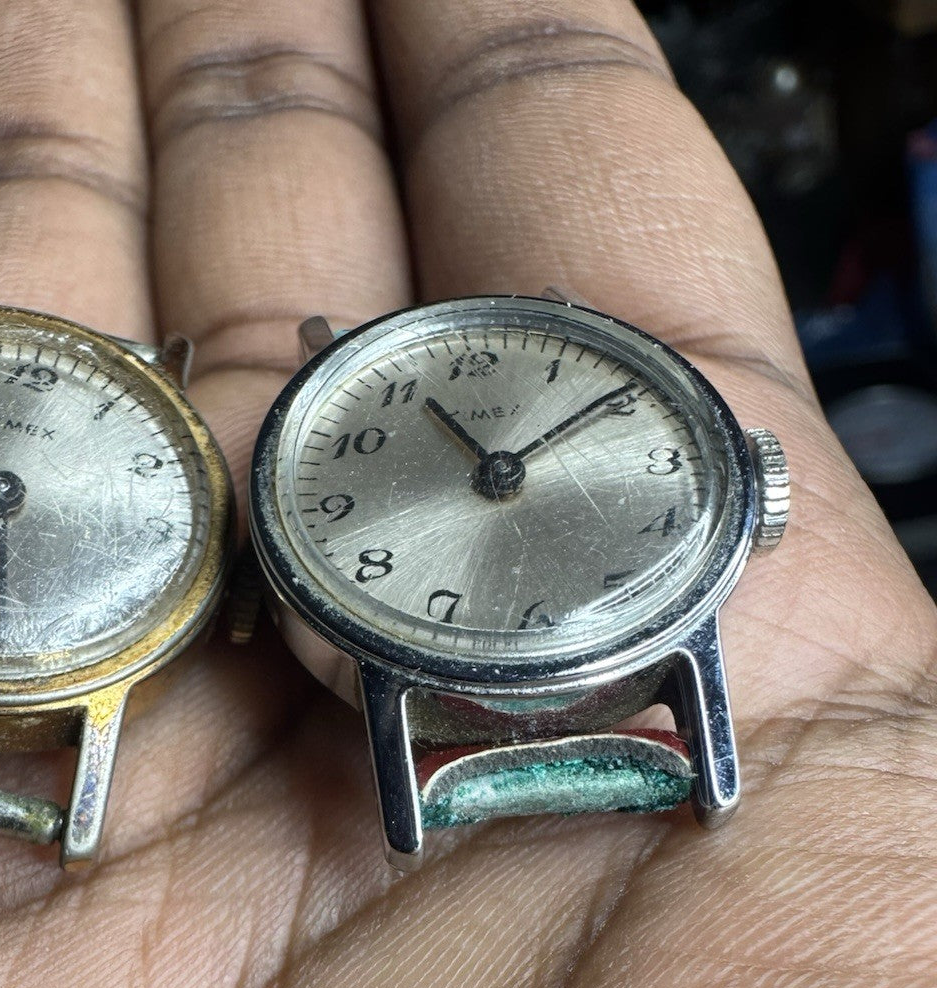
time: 11:09
